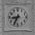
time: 8:34
